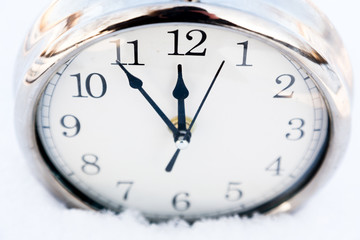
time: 11:53
